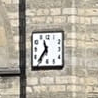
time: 11:36
